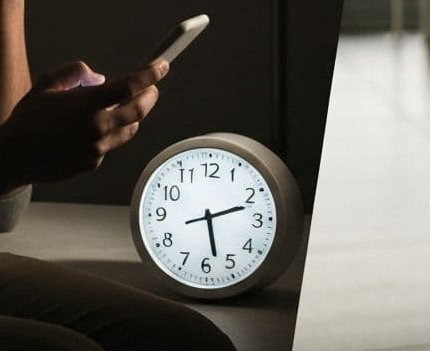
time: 2:27
